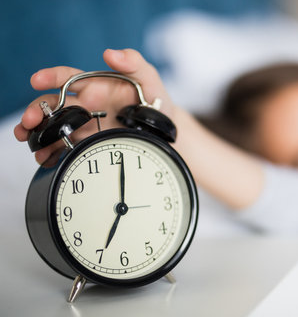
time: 7:01
